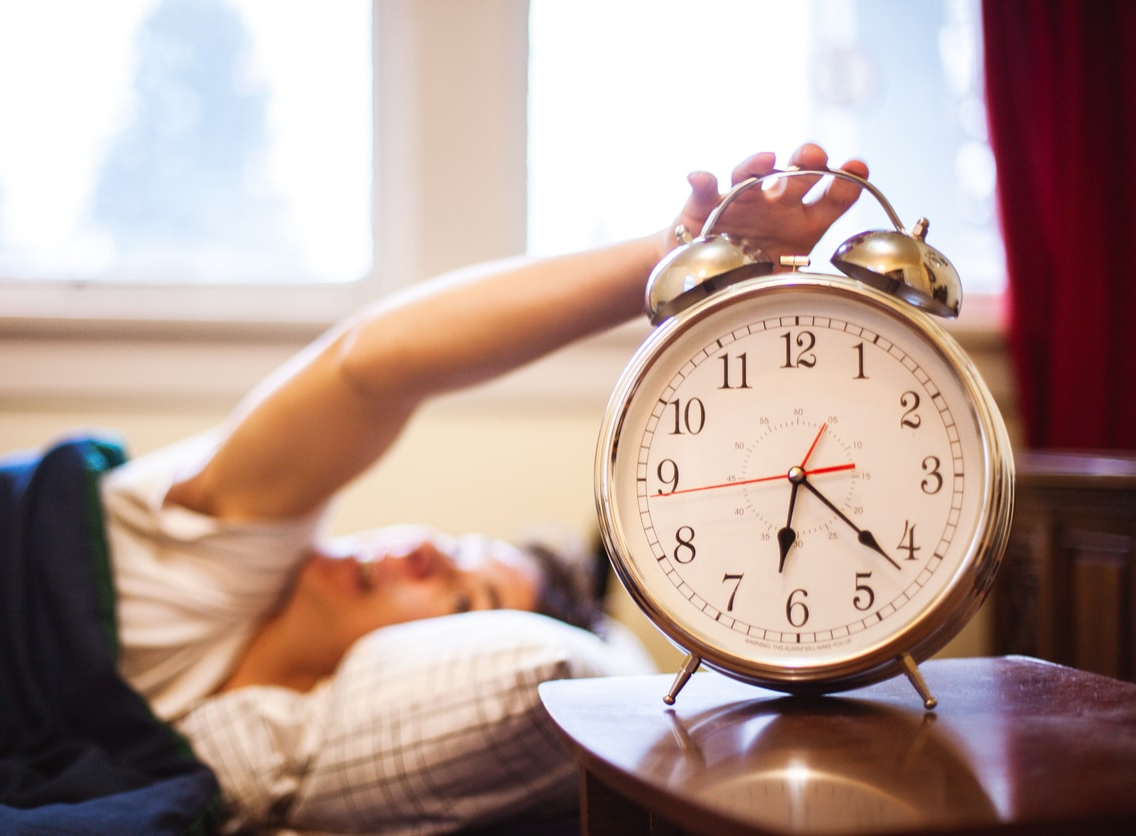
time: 6:21
